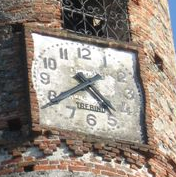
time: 4:39
